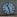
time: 11:28
